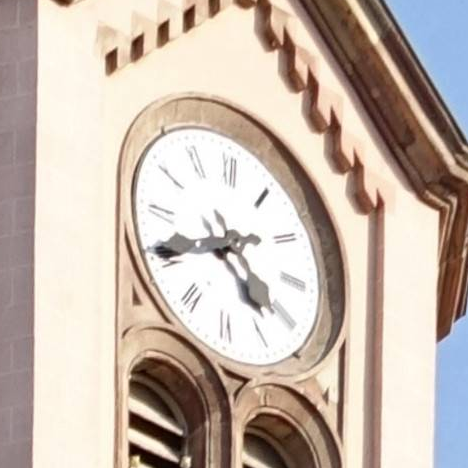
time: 4:40
